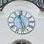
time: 11:28
